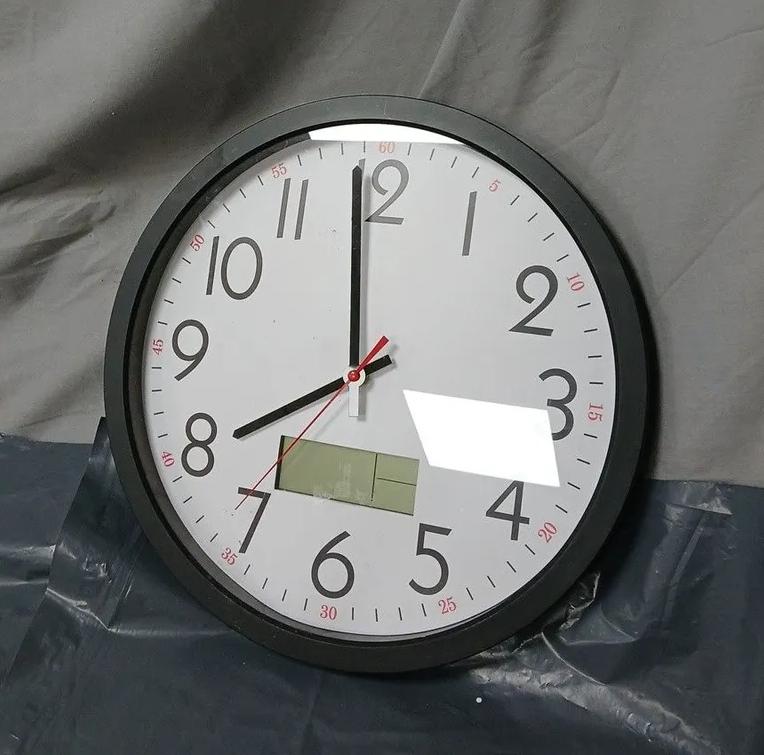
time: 7:58
